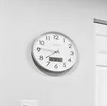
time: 7:46
